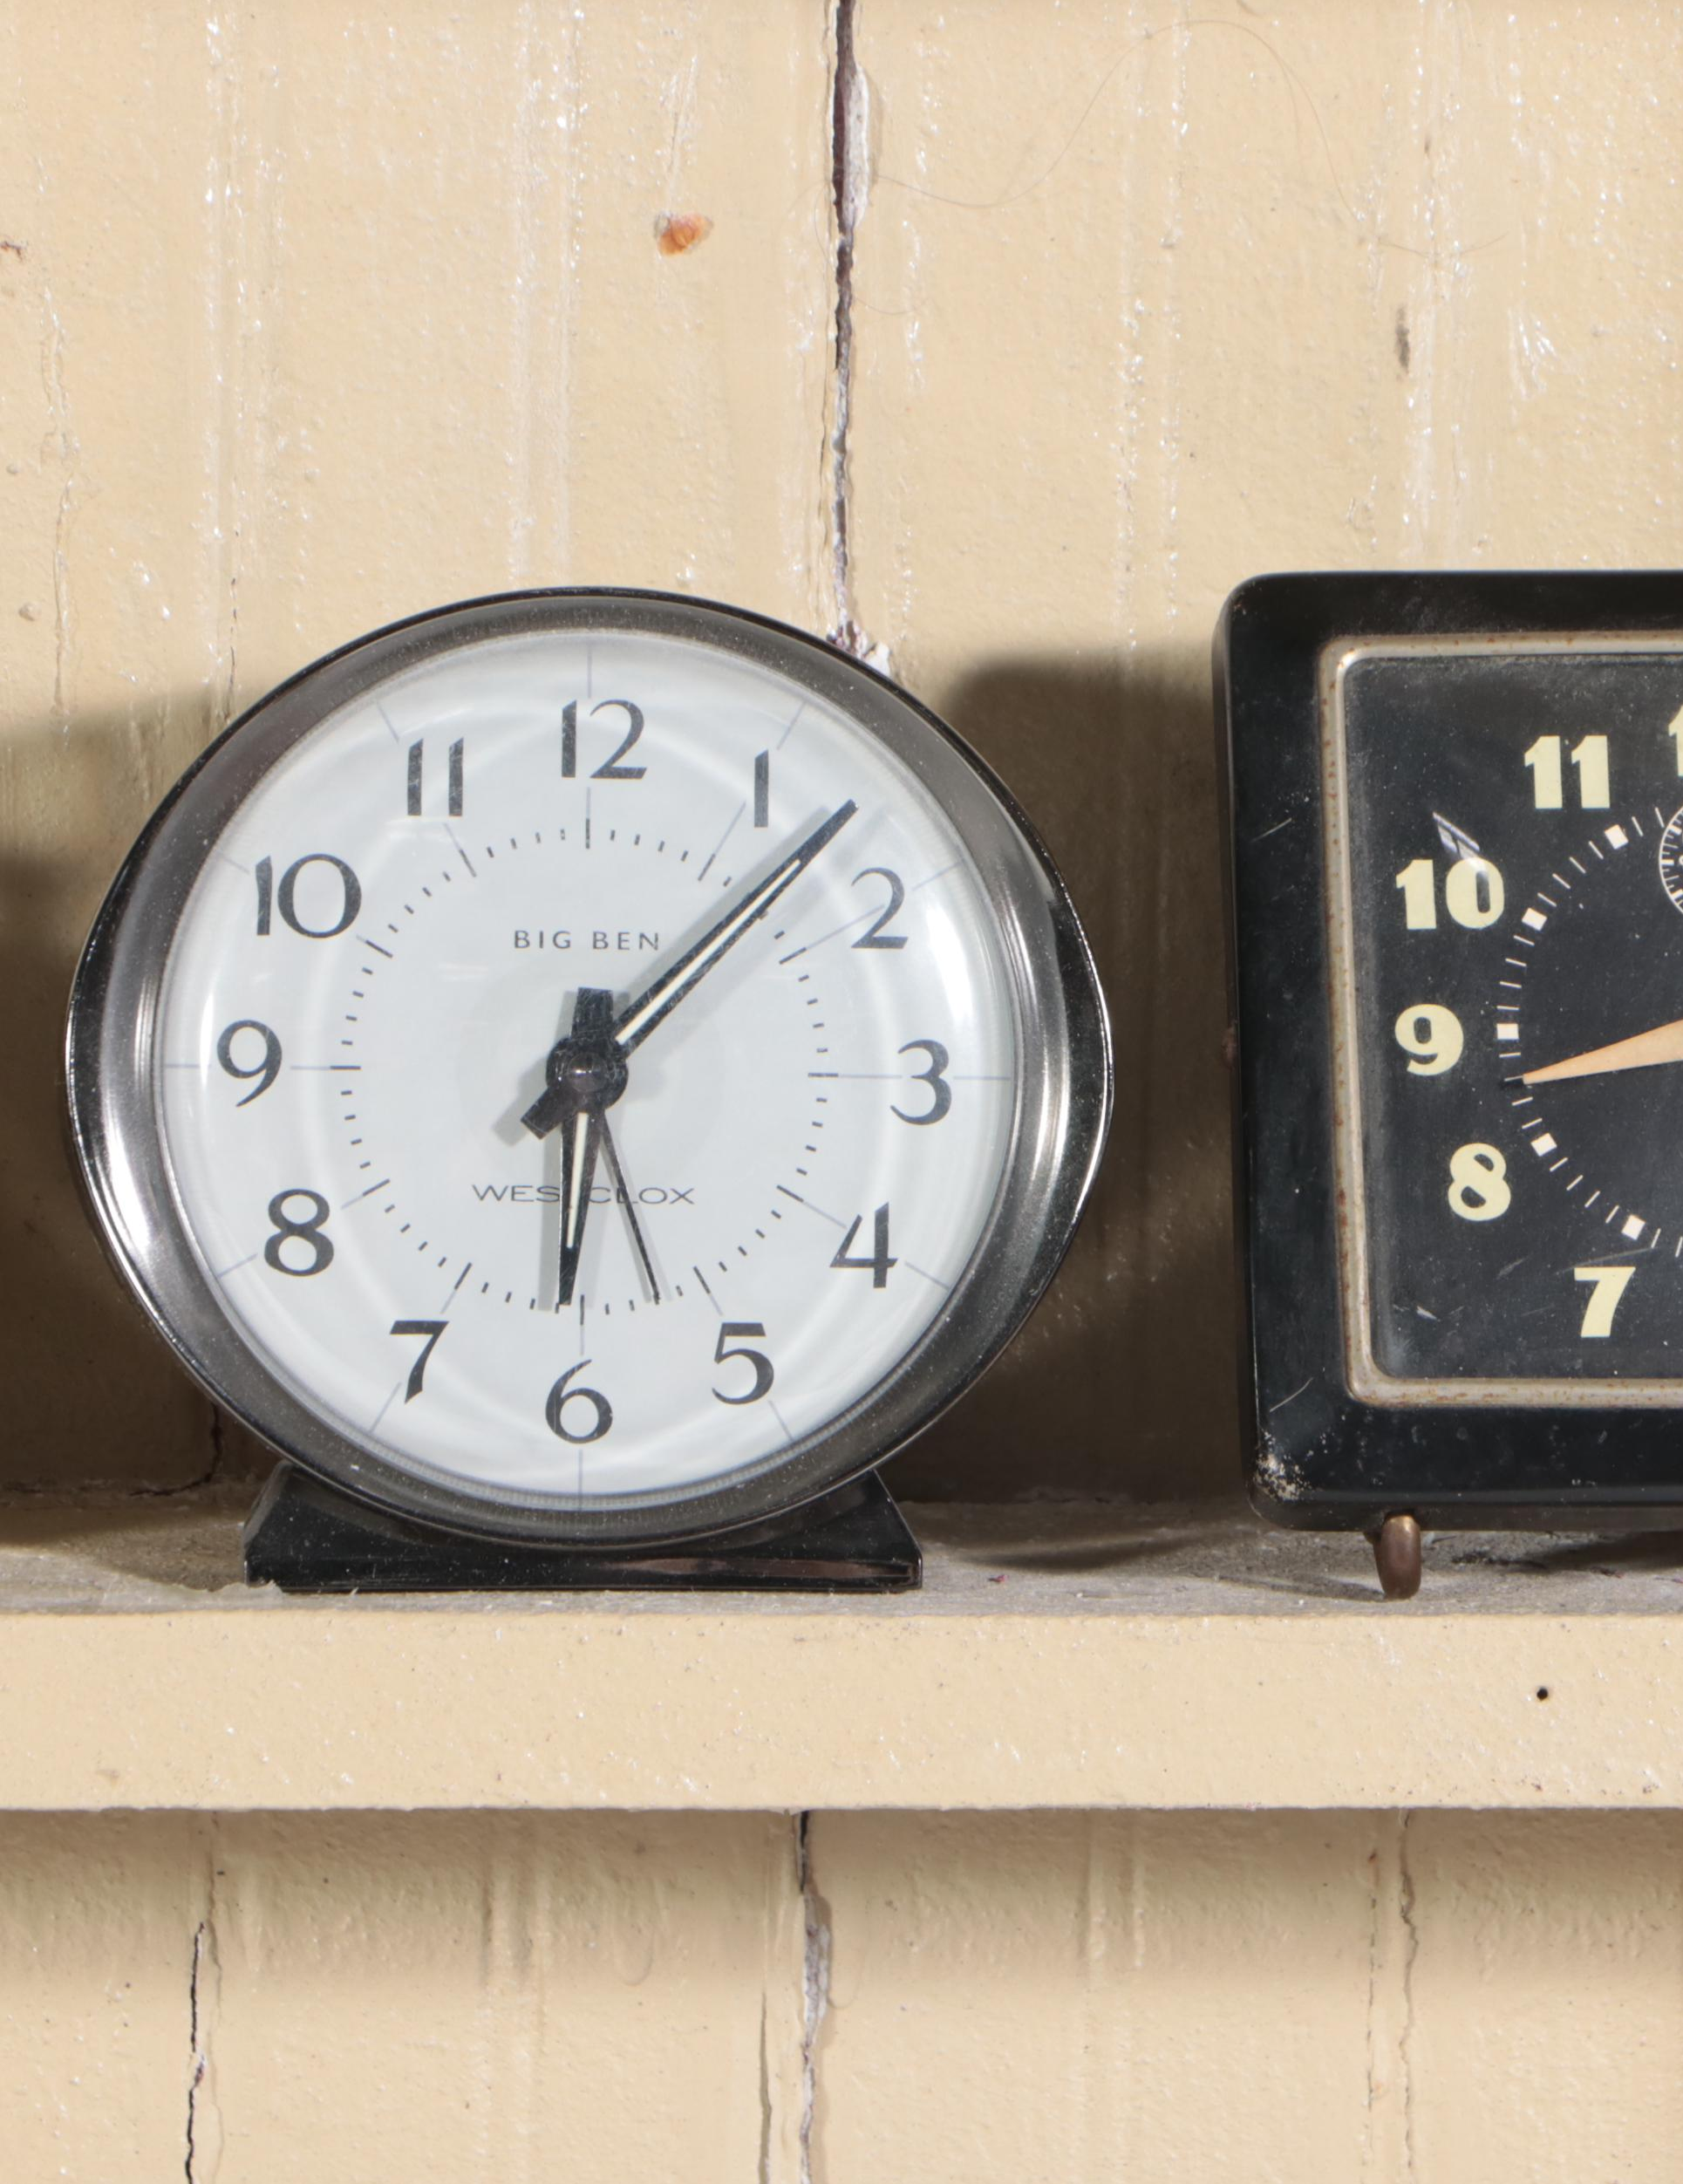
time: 6:07
